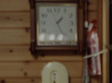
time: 1:24
